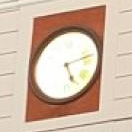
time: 5:12
